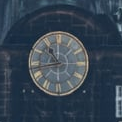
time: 10:43
